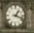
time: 1:18
